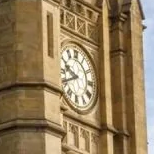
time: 9:41
